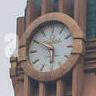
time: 5:50
